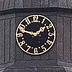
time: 1:47
